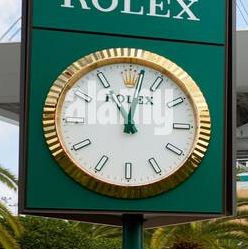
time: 11:01
